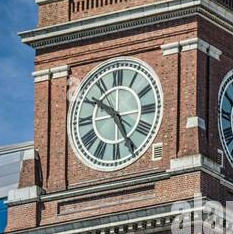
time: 10:25
